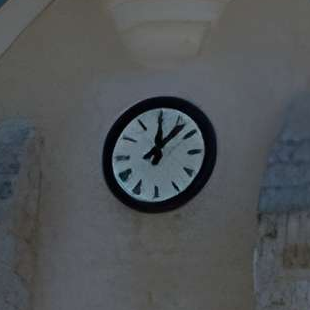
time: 12:07
